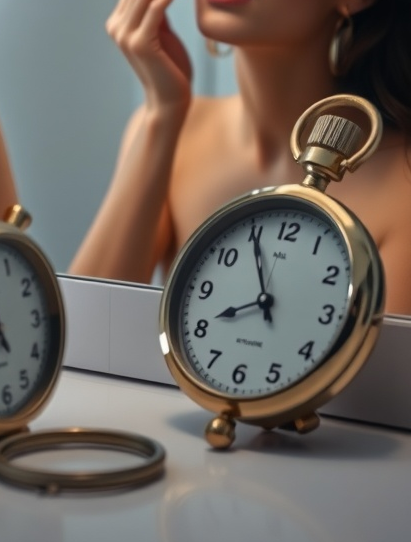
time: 7:54
